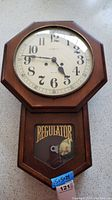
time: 4:46
